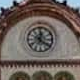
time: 12:20
